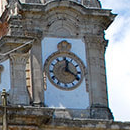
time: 12:19
